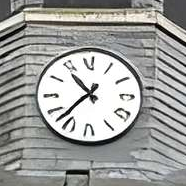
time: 10:37
